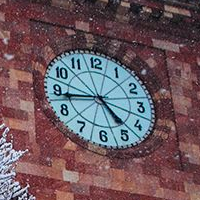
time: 4:43
